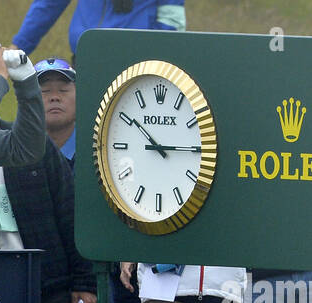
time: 10:14
